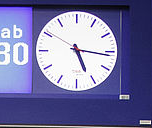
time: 5:15
